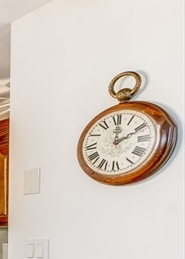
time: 2:01
